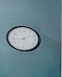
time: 1:42
